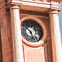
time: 4:50
